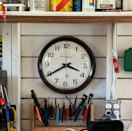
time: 3:39
